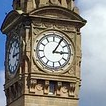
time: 3:05
